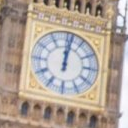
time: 12:01
